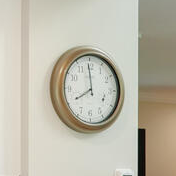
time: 7:59
